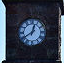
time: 12:39
